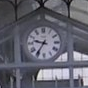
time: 9:35
